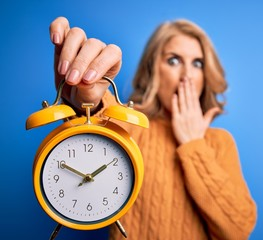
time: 1:50
